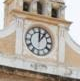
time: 12:06
